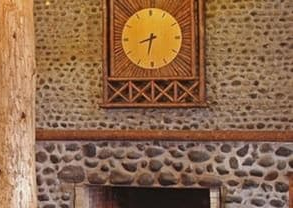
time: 8:32
